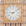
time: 9:08
